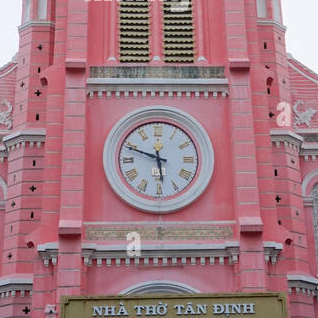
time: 5:48
